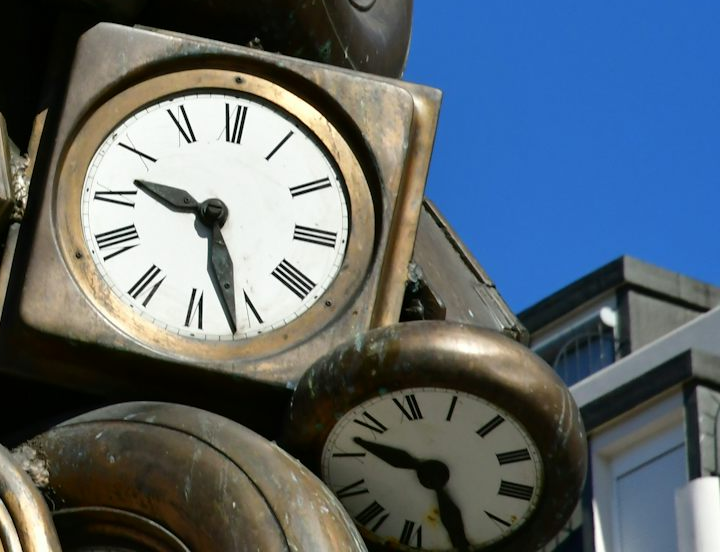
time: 10:28
